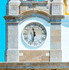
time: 11:32
